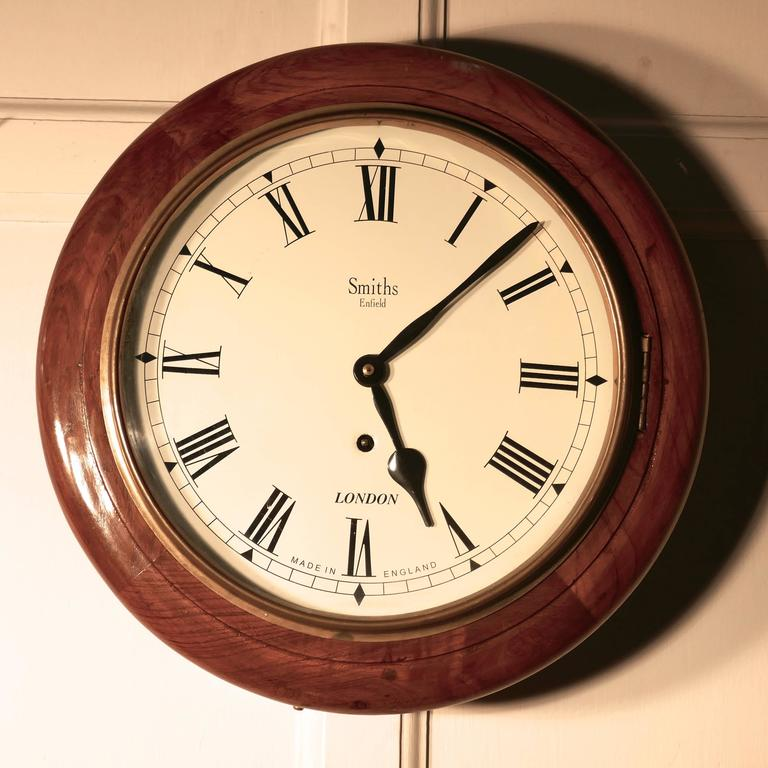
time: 5:07
